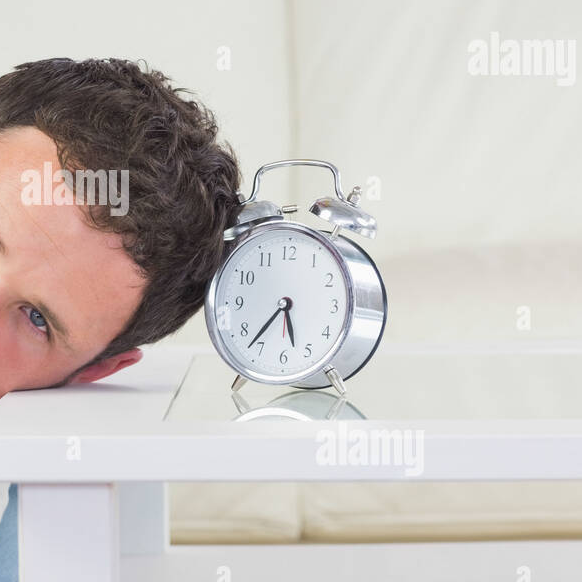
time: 5:36
